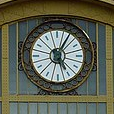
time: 5:05
